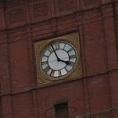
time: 3:57
